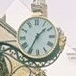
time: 1:35
